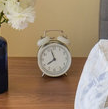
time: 7:57
